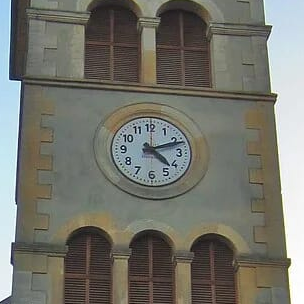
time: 4:11
